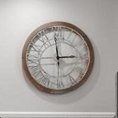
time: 2:59
